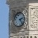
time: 2:23
